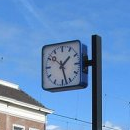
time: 1:27
